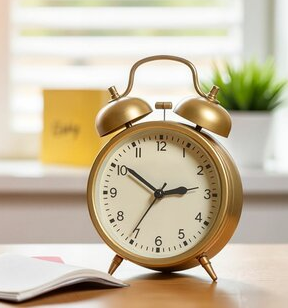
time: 2:50
